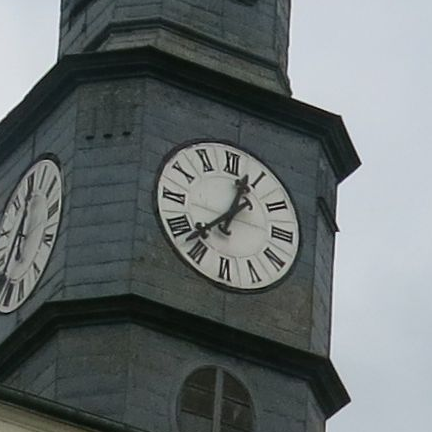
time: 12:37
